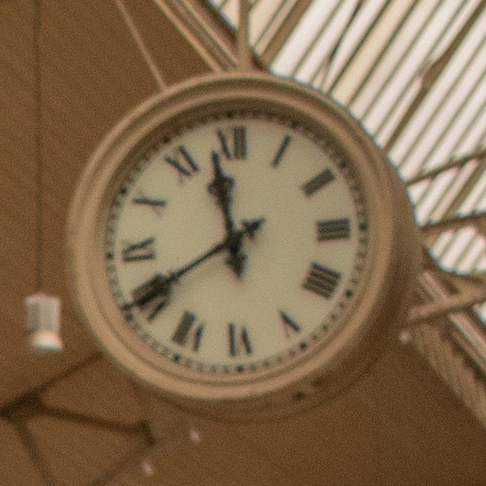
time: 11:40
